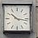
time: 10:16
